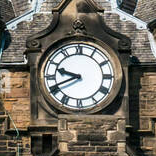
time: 9:41
